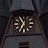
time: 10:34
